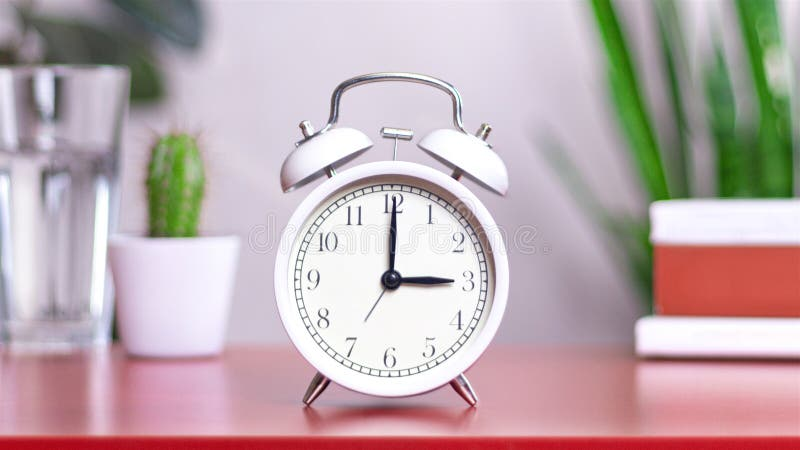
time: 3:00
